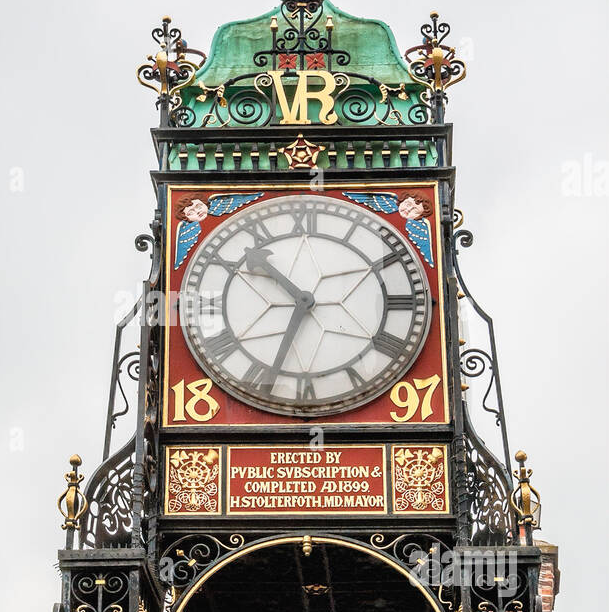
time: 10:33
